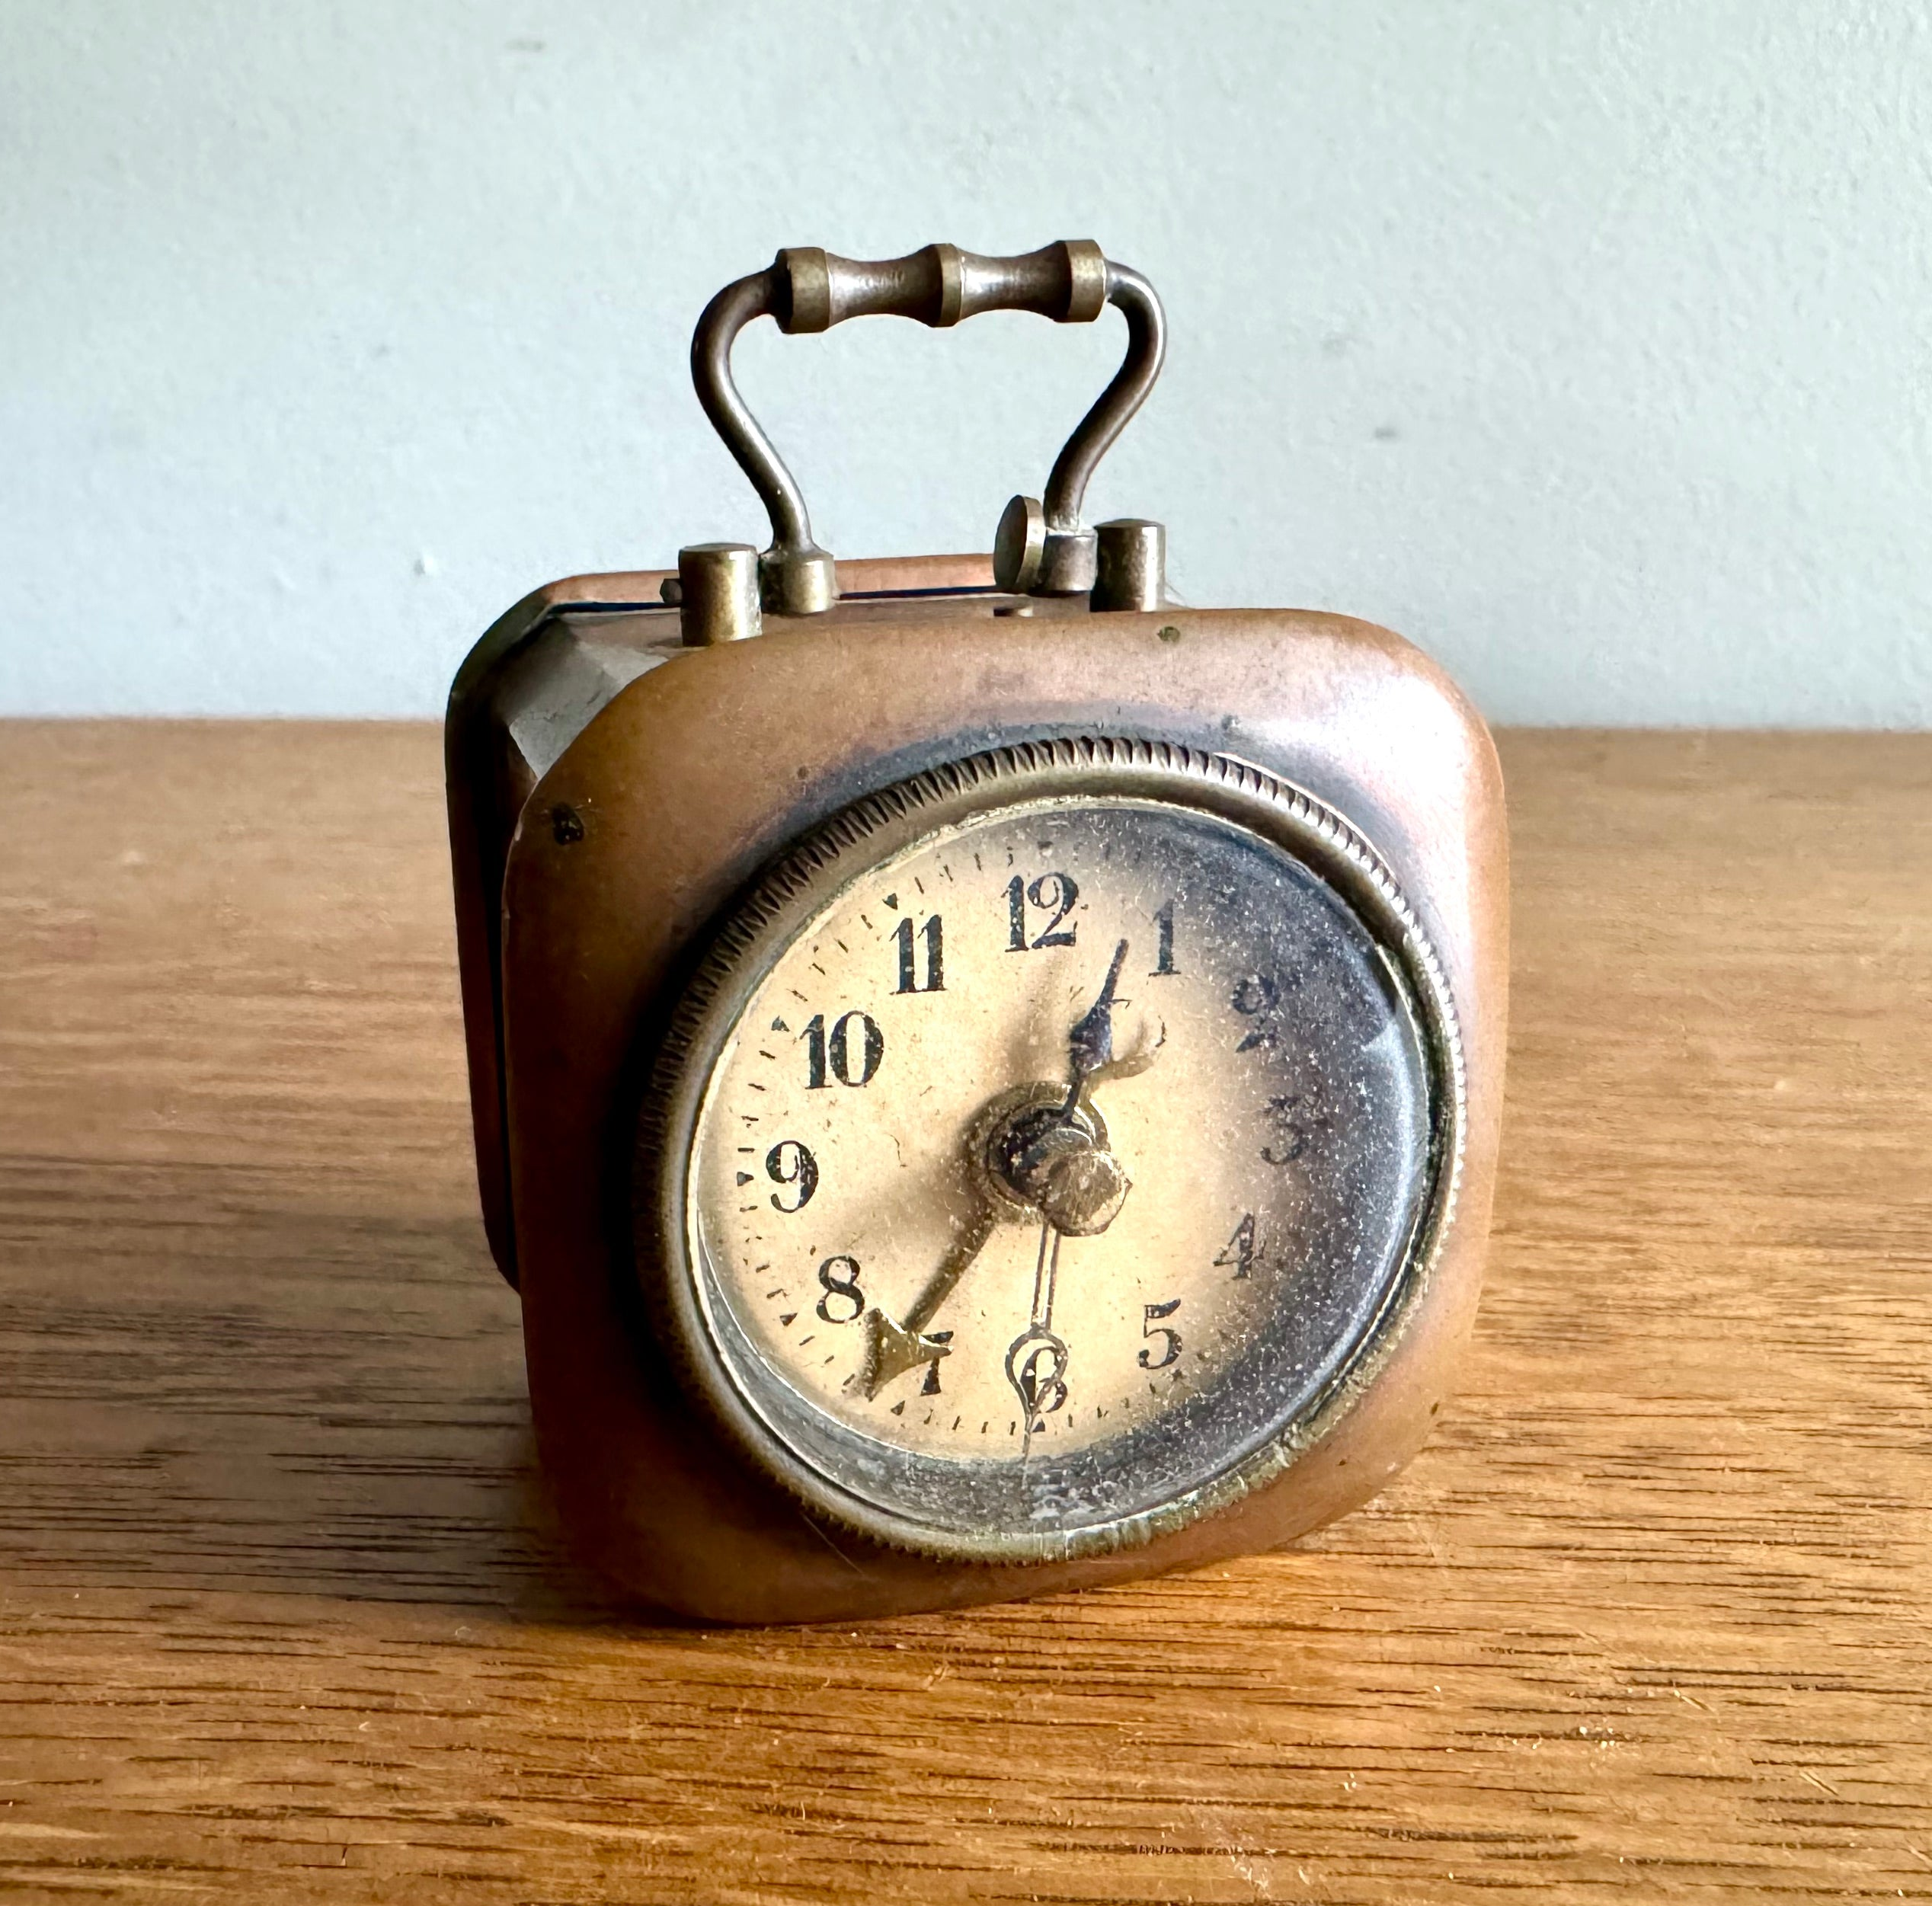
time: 12:35
